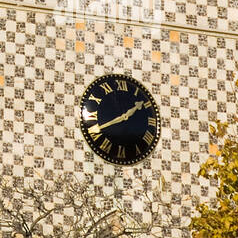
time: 1:40
